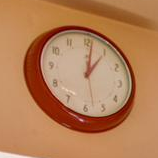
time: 1:01
